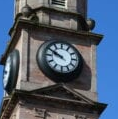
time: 9:50
